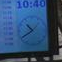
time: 10:39
